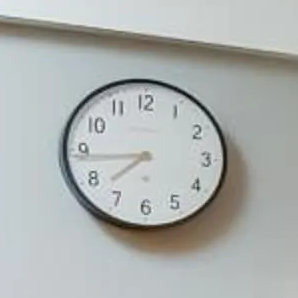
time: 7:43
